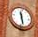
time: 11:28
